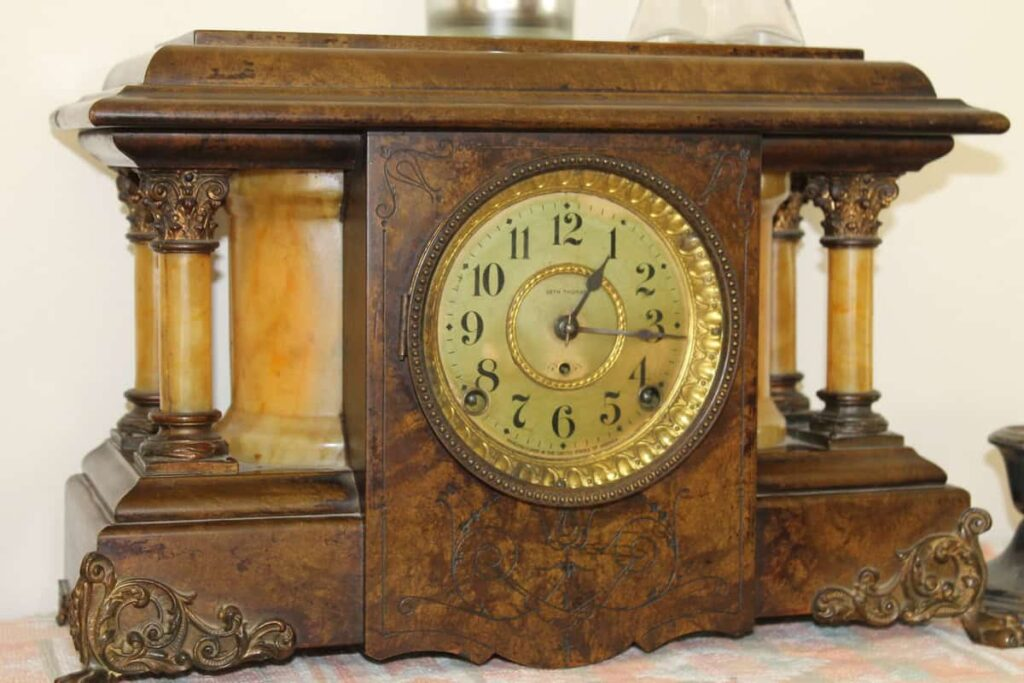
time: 3:04
